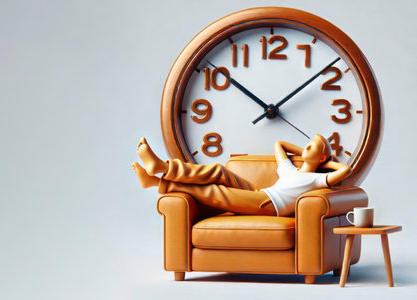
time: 10:08
